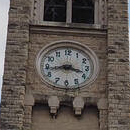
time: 3:43
